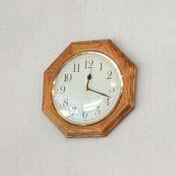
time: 12:18
